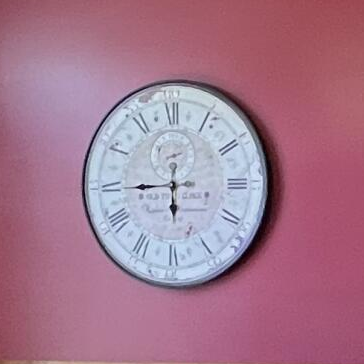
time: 5:44
